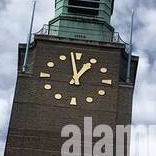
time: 12:58
